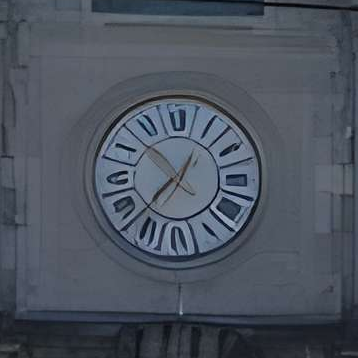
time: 10:37
